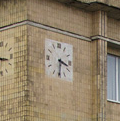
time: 3:30
